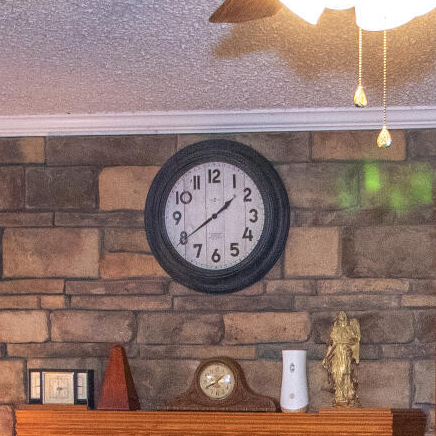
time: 1:39
